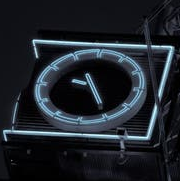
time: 9:25
